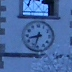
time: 8:32
